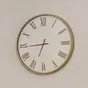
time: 6:44
